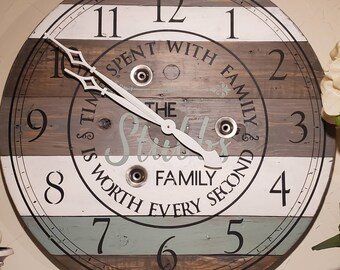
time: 9:50
